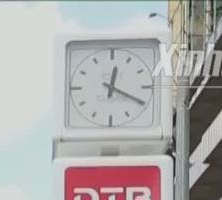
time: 12:19
